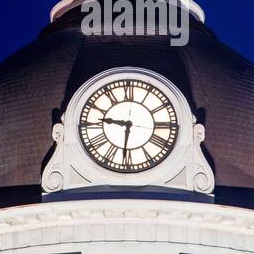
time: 9:31
